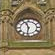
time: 11:31
